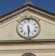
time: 5:30
